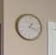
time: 1:18
